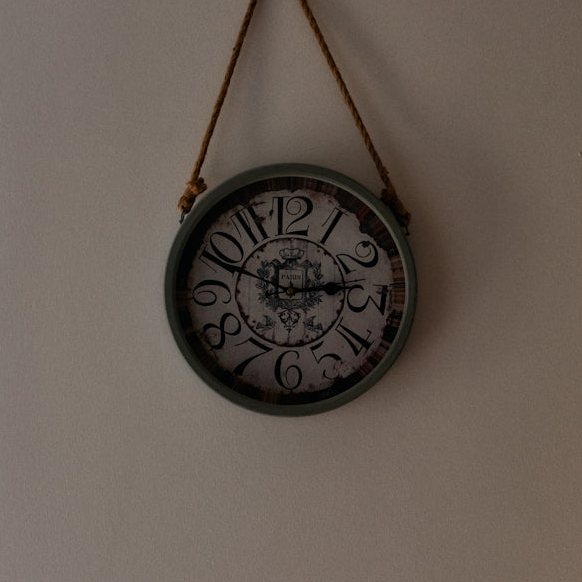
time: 2:48
